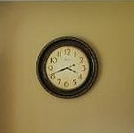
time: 3:41
